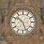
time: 10:26
